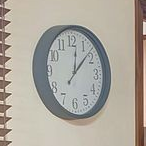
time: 12:07
